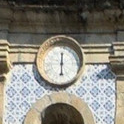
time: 6:00
